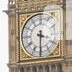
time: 3:30
